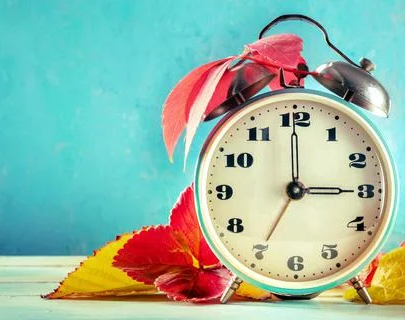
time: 2:59
